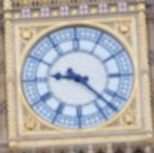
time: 9:22
